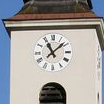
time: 11:08
